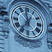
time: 11:36
